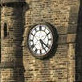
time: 5:21
